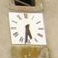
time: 5:31
